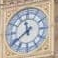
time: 11:39
